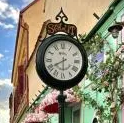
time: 5:40
